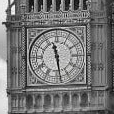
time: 11:28
